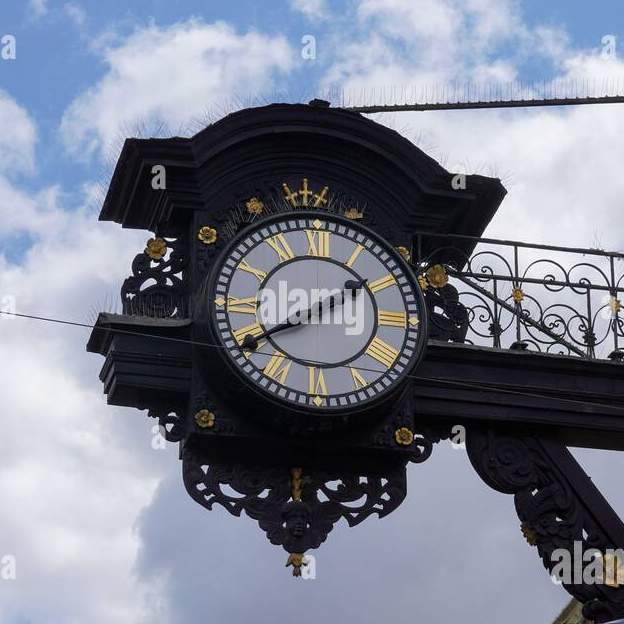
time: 1:39
